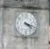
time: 4:18
